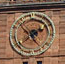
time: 1:53
